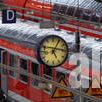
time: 5:04
